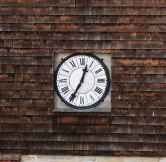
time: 12:35
